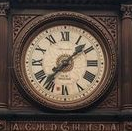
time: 1:36
